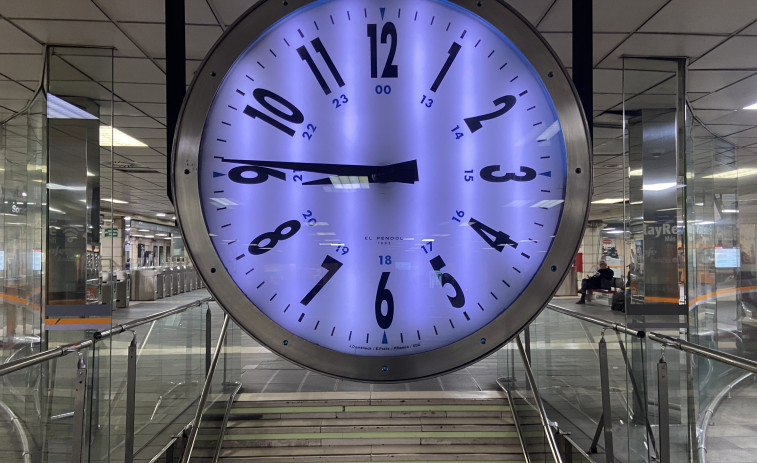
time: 8:45
